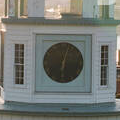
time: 6:03
